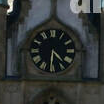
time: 4:31
